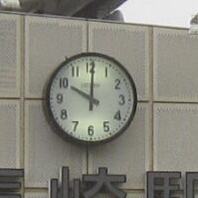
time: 10:00
